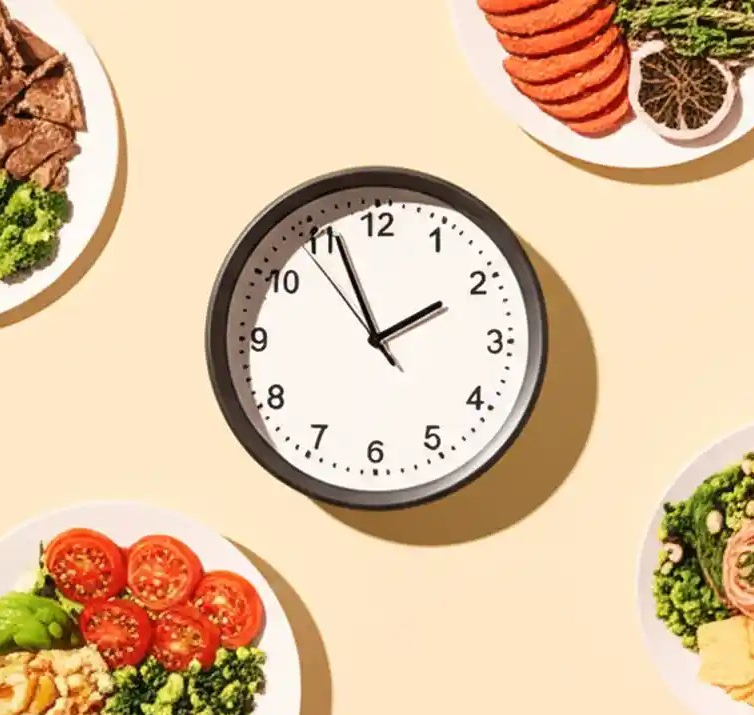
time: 1:56
